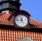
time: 11:45
